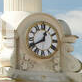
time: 12:40
